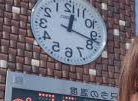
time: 12:17
